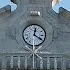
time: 12:20
